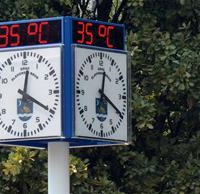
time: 12:19
